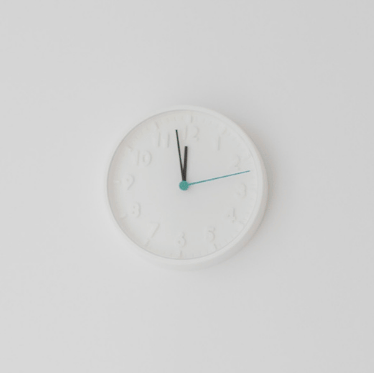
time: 11:57
